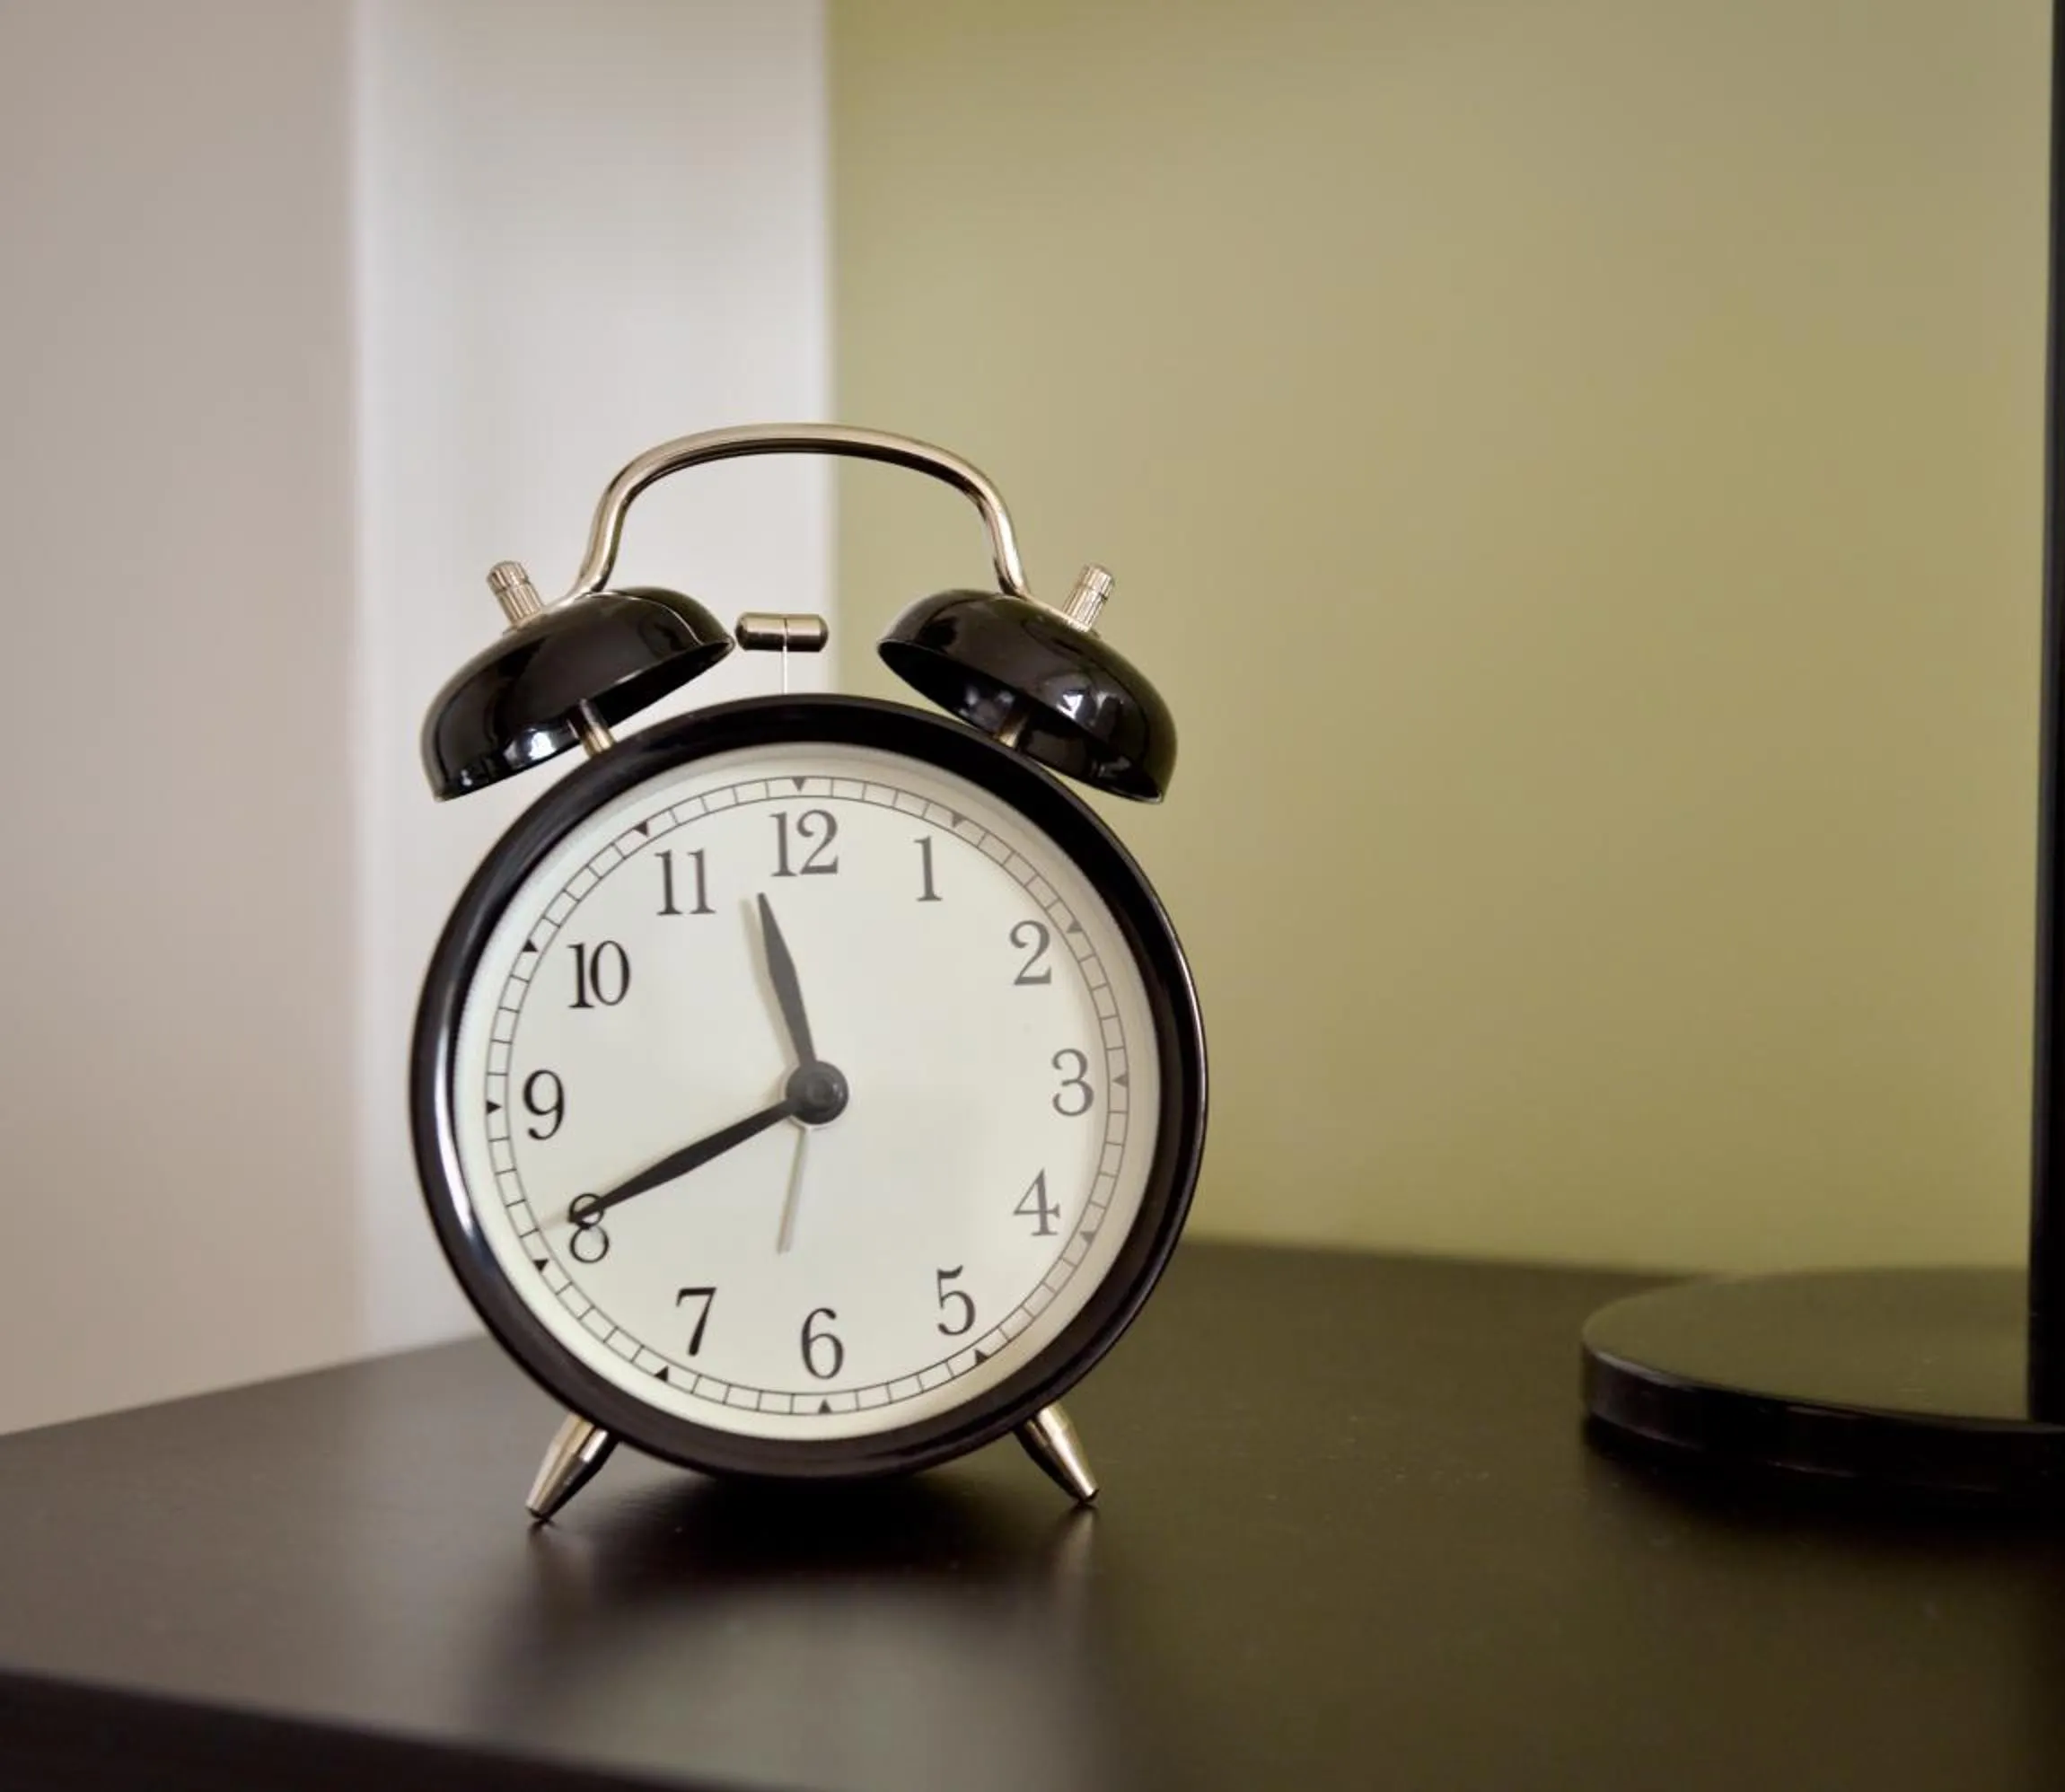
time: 11:40
